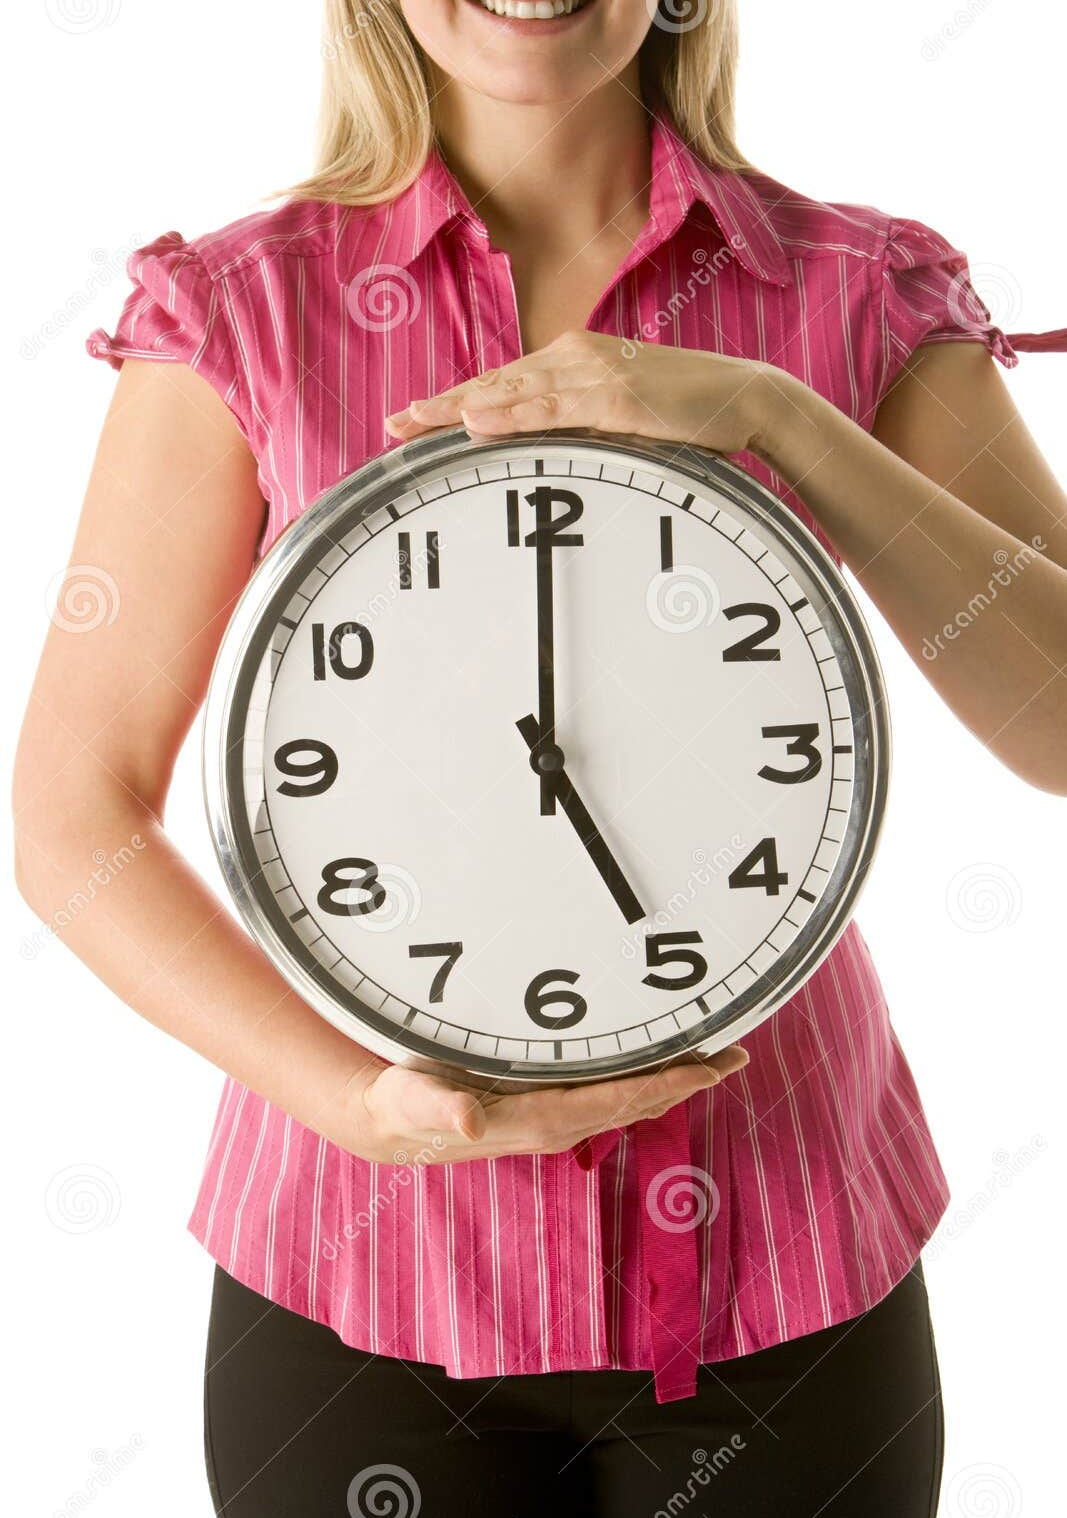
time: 5:00
